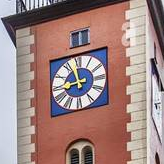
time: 8:57
